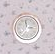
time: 2:58
